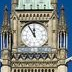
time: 11:54
